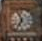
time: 6:56
